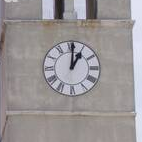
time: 1:01
